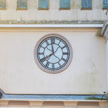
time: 7:58
